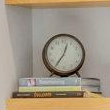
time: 12:35
